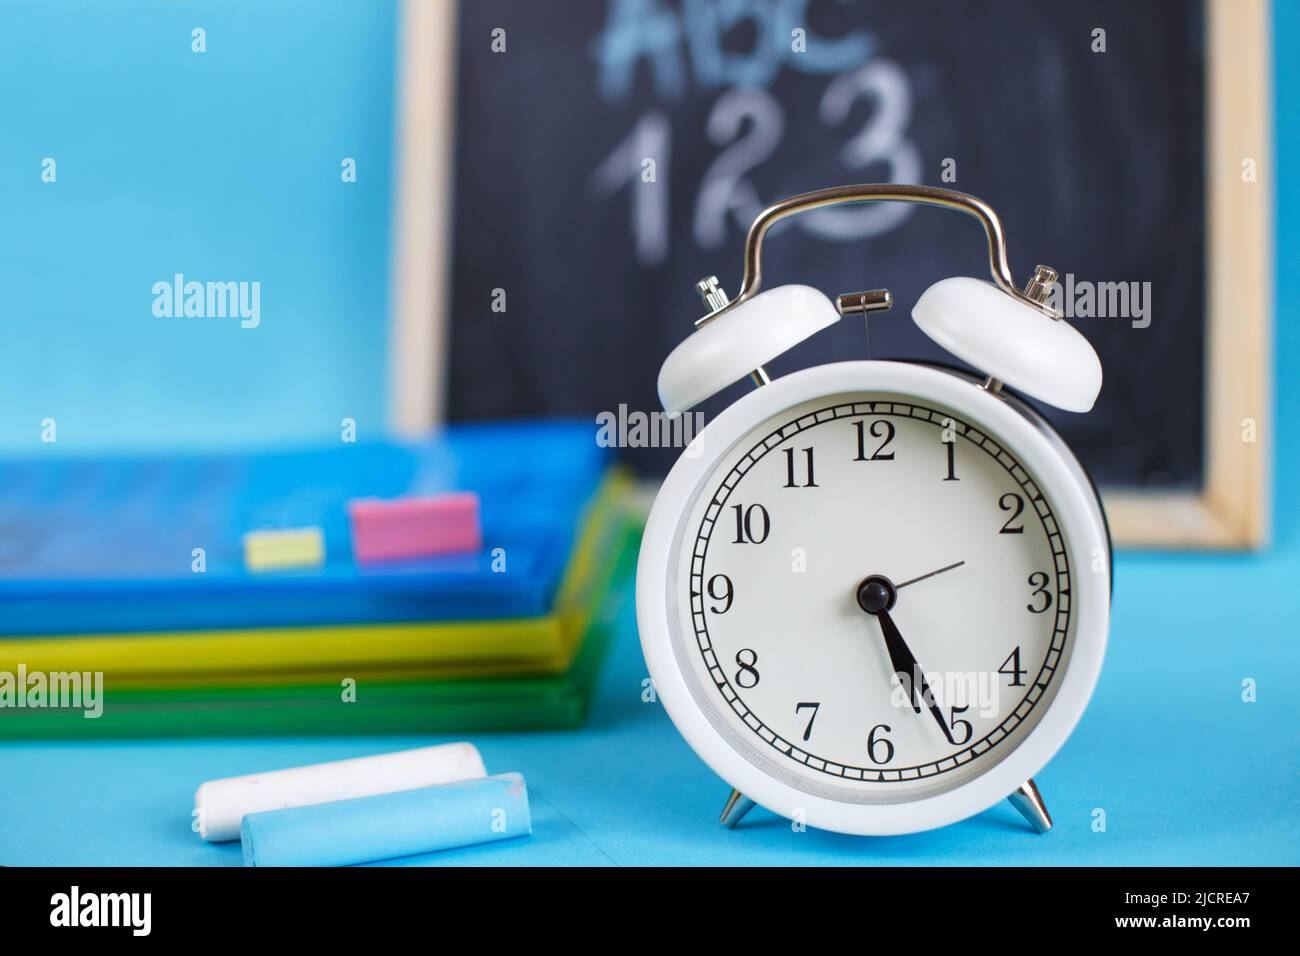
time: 5:26
